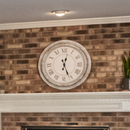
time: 12:26
